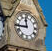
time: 11:44
